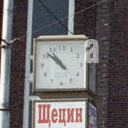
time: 10:52
